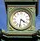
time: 4:31
